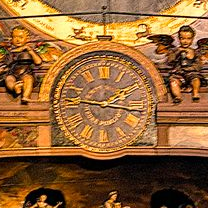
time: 1:46
